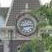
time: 2:42
